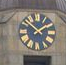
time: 1:50
